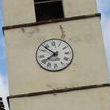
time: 7:52
